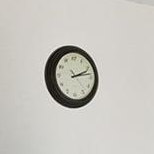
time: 2:13
